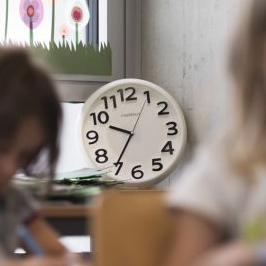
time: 9:35
